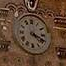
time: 4:18
